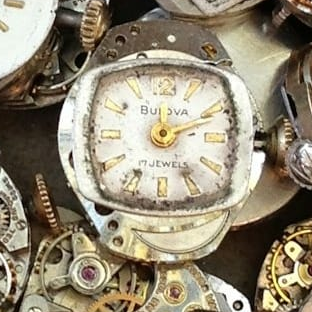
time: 12:10
